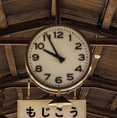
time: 9:55
